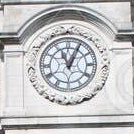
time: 11:04
